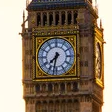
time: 7:32
